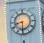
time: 8:30
